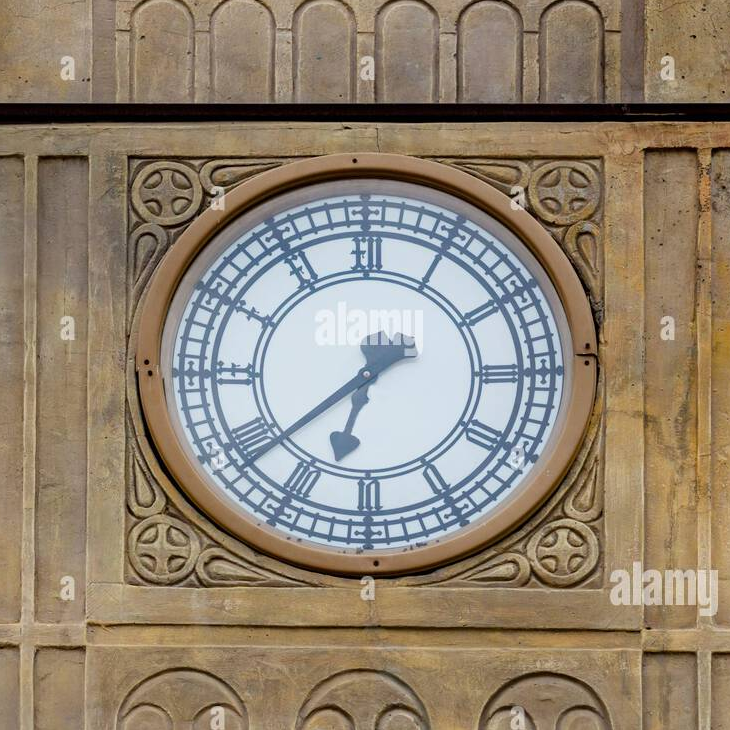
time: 6:38
